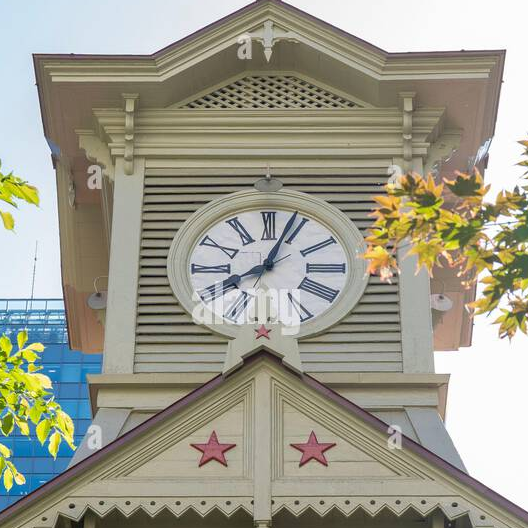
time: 8:03
